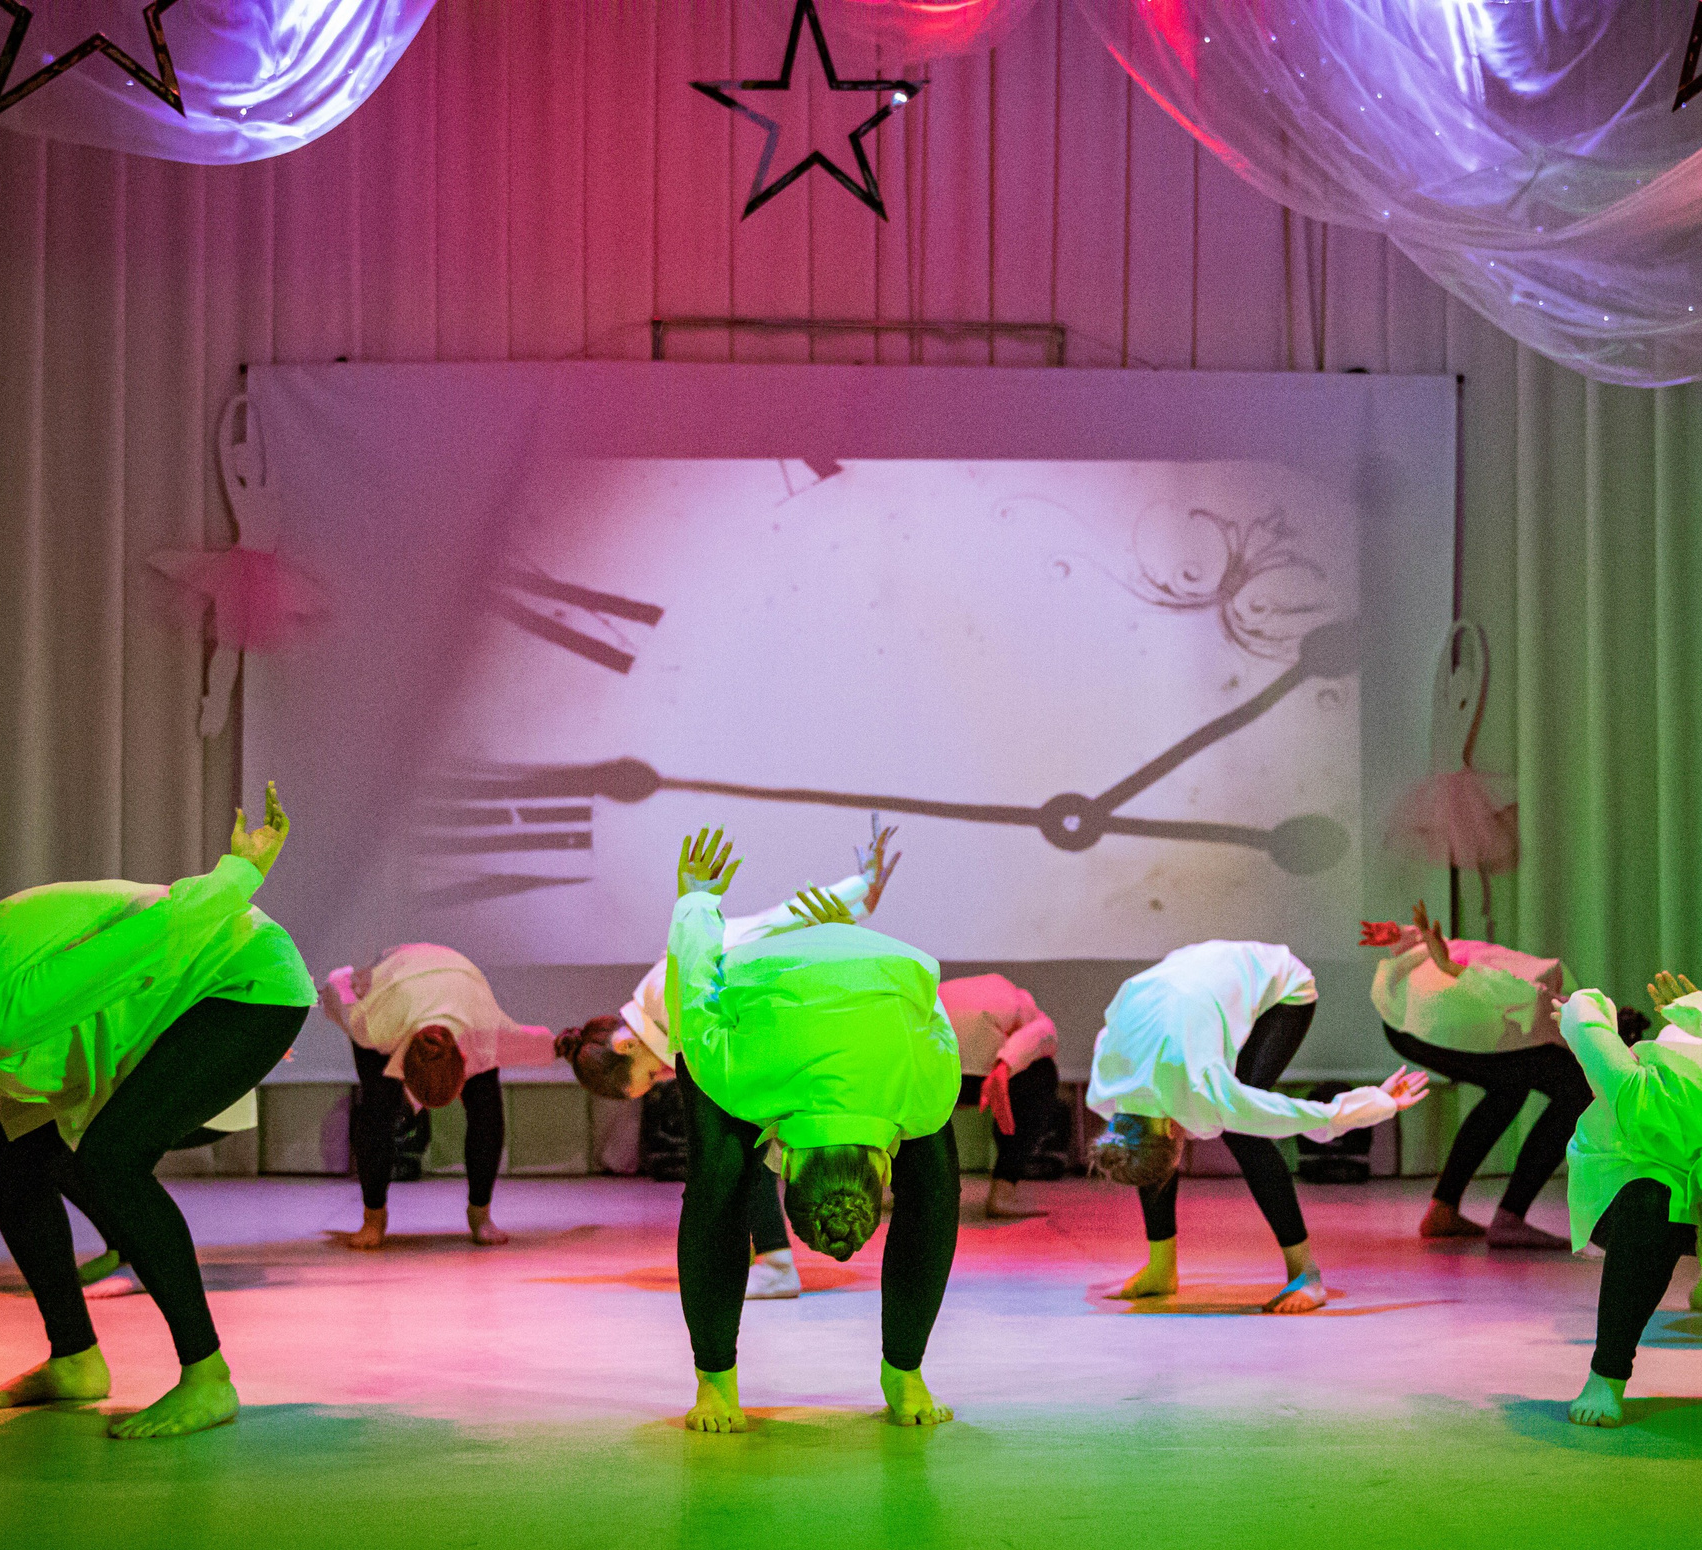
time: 1:46
